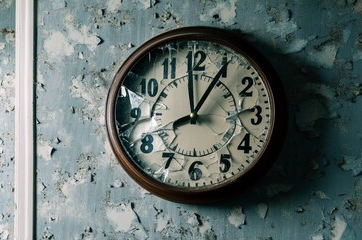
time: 12:05
